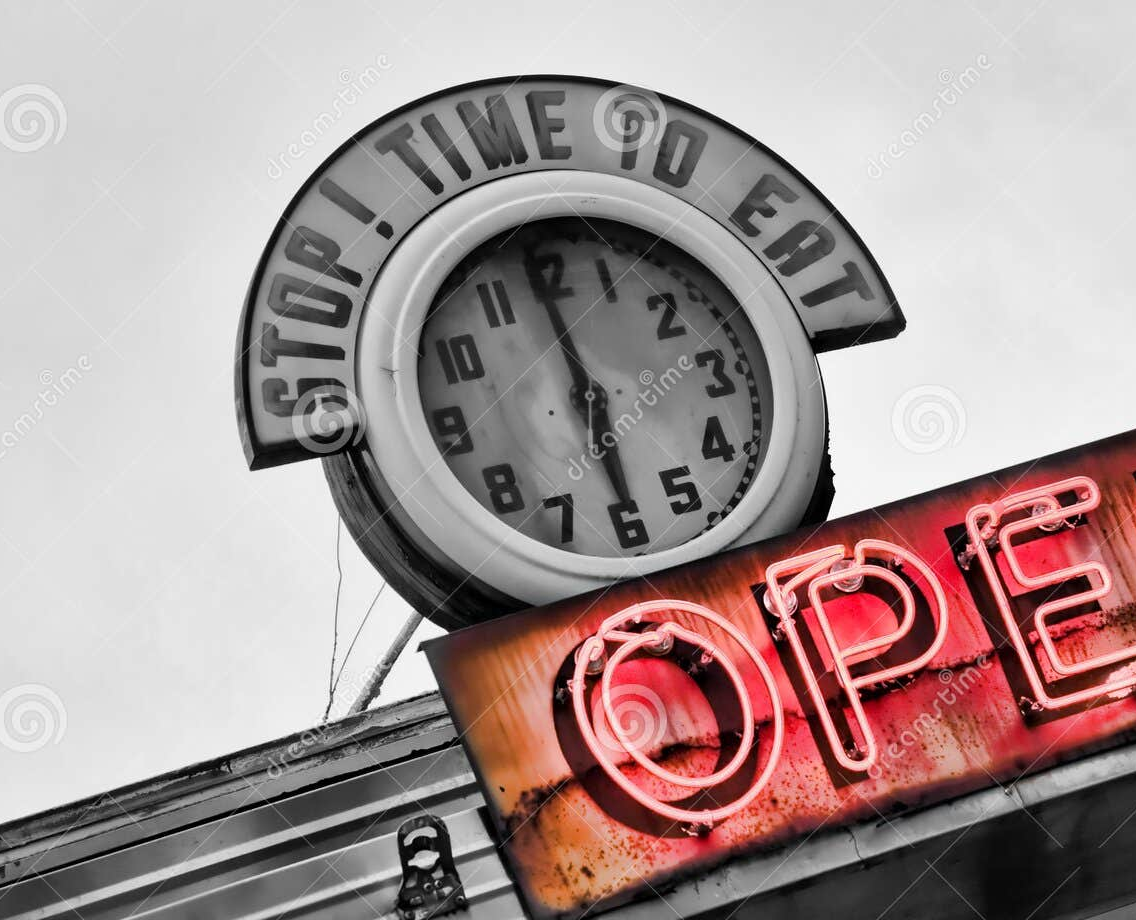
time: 5:58
